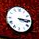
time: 3:14
